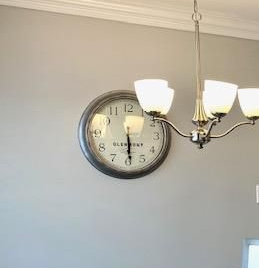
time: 5:29
